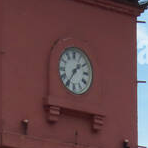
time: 1:35
